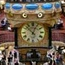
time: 12:52
